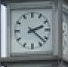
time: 2:21
